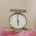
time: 5:59
